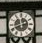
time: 11:41
